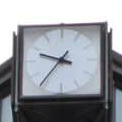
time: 9:36
